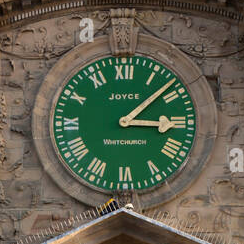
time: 3:08
